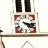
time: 4:17
